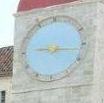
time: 9:16
